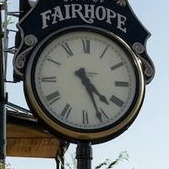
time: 4:26
